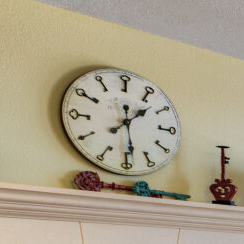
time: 1:28
